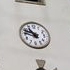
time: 10:48
